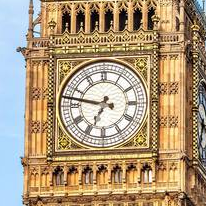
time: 6:47
